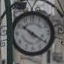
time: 10:20
